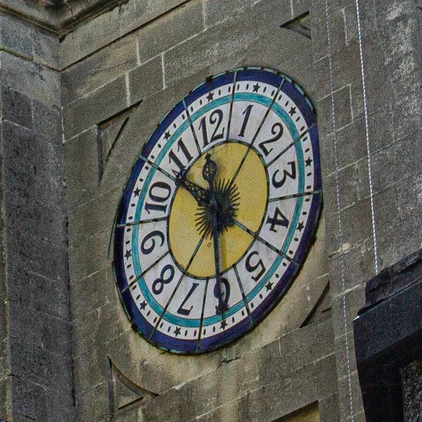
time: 10:30
